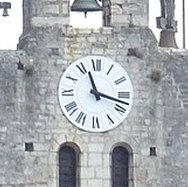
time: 11:17
